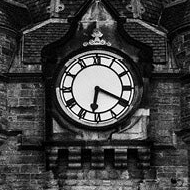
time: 6:19
